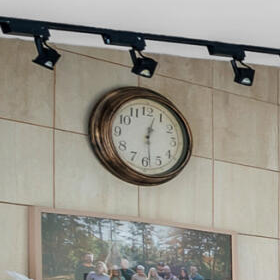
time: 12:28
